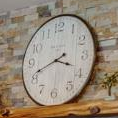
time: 3:41
